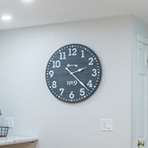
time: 2:22
